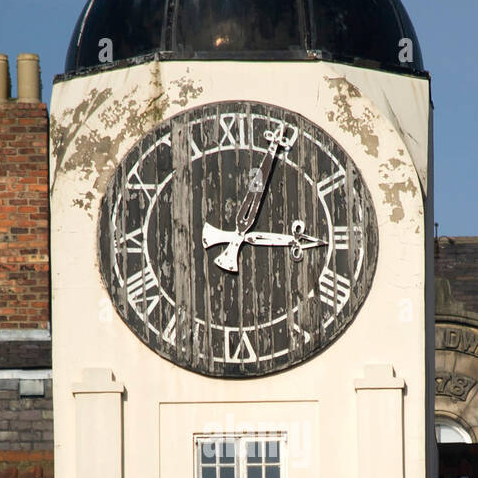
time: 3:02
